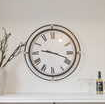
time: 9:18
